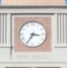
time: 3:35
